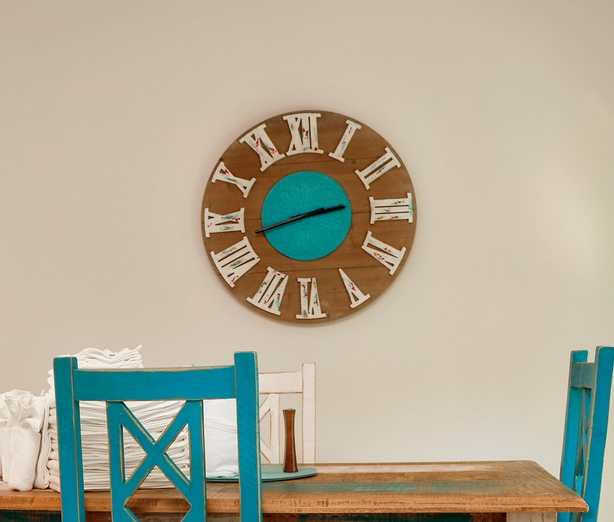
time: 2:42
